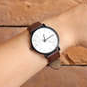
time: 12:09
